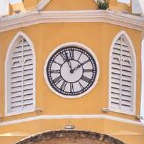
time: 1:56
